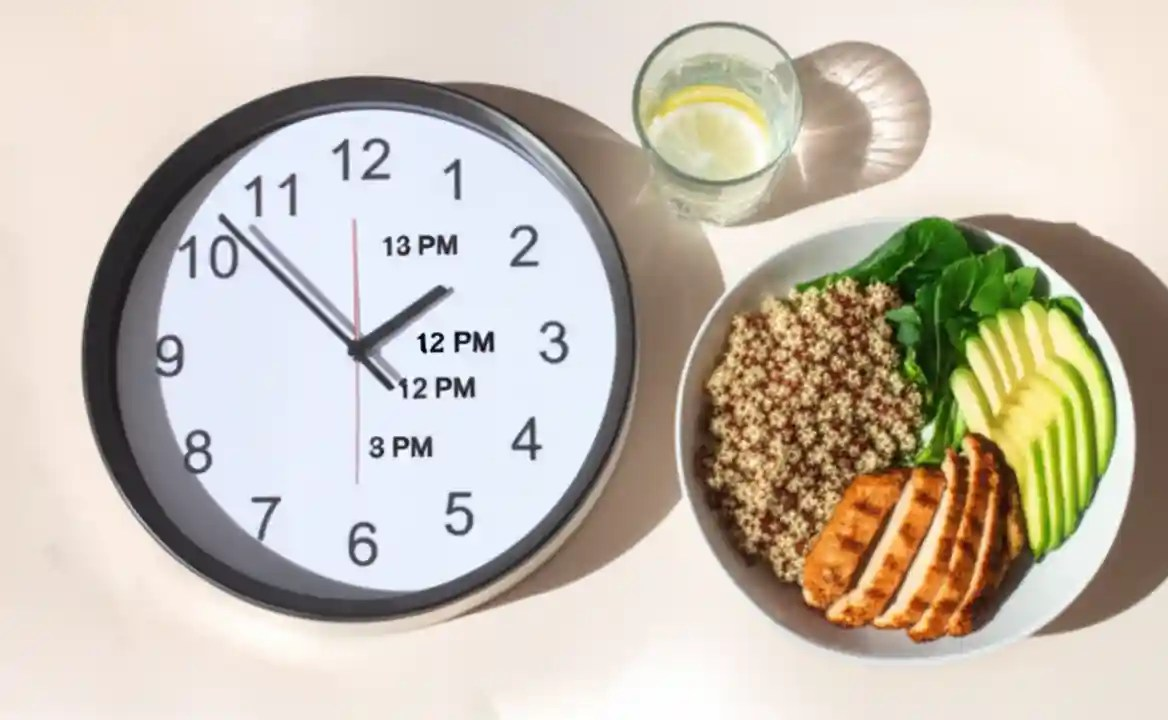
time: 1:52
